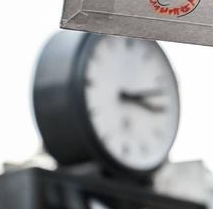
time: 3:12
